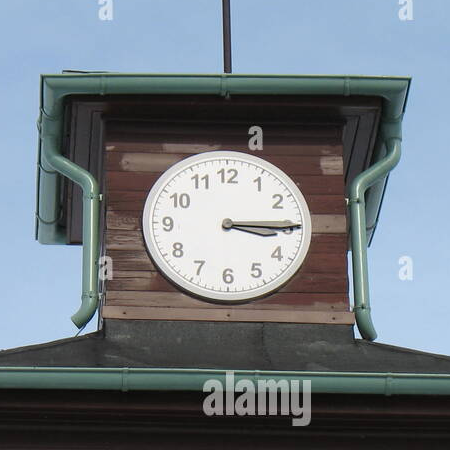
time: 3:14
